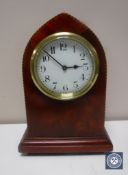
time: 2:52
